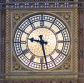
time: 9:28
